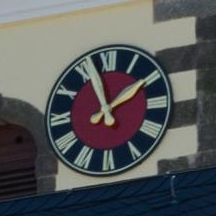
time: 1:56
